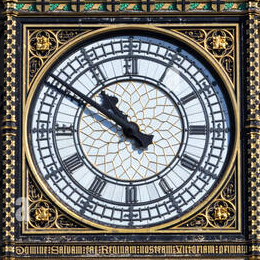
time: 10:50
